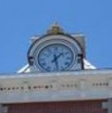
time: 1:28
